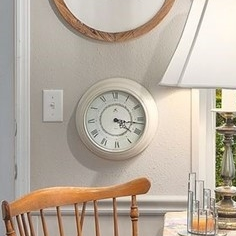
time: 4:16
